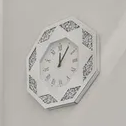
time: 12:05
